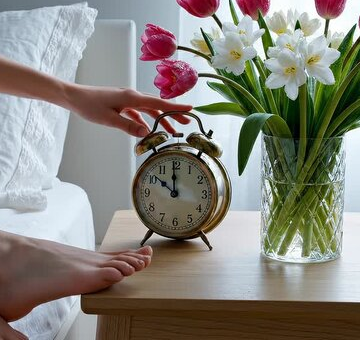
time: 11:51
